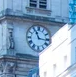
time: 11:16
